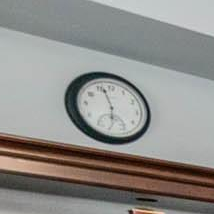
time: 5:56
